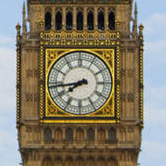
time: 7:43
